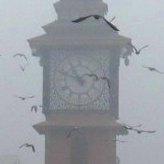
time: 10:48
